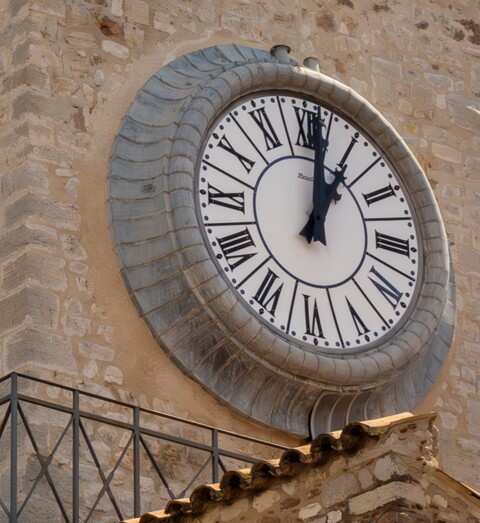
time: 1:01
